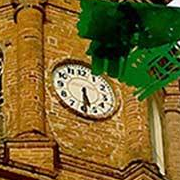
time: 5:30
